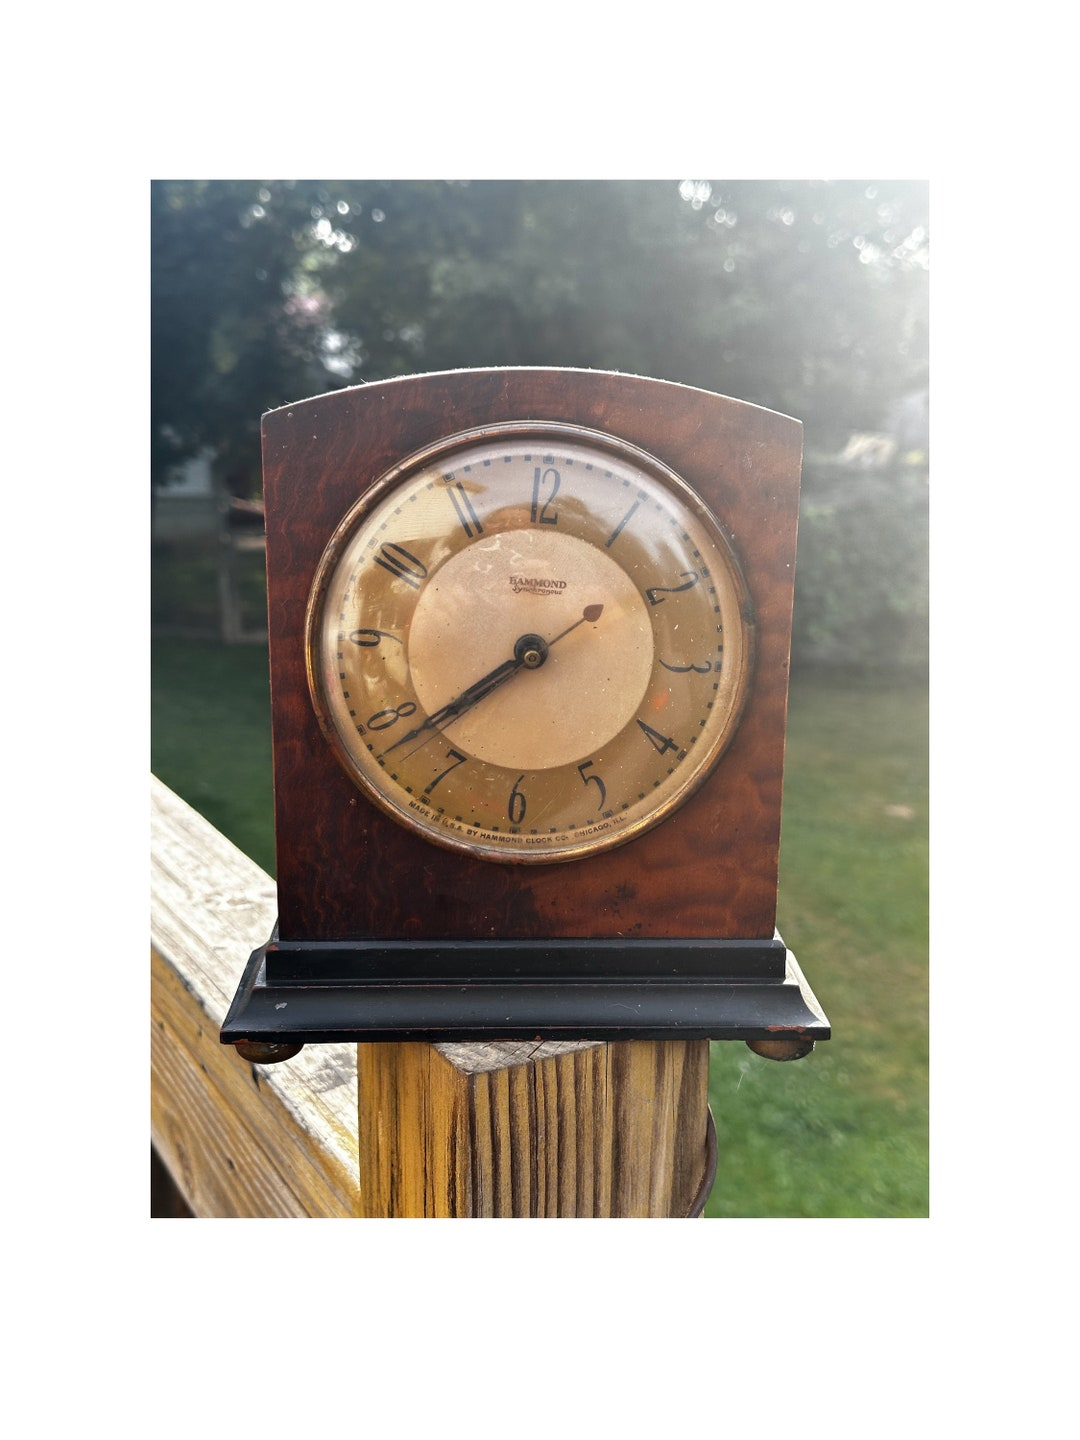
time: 7:38
